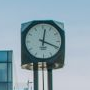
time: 12:18
